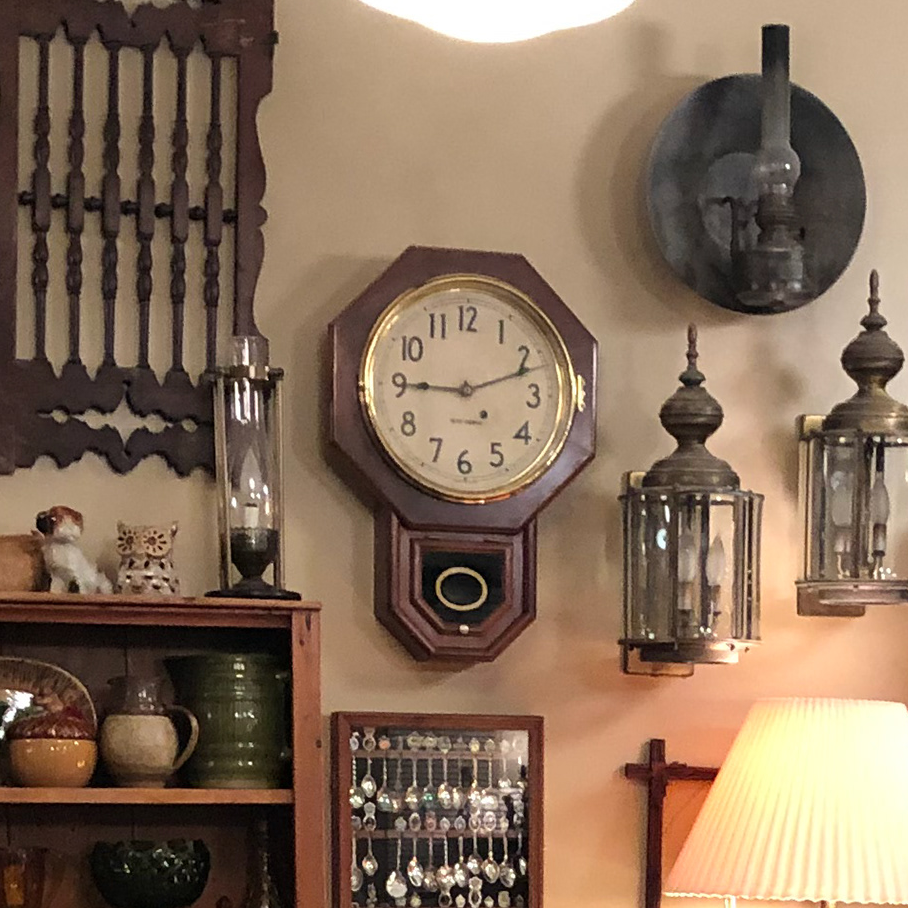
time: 9:11
